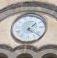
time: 1:21
